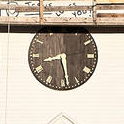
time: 8:28
